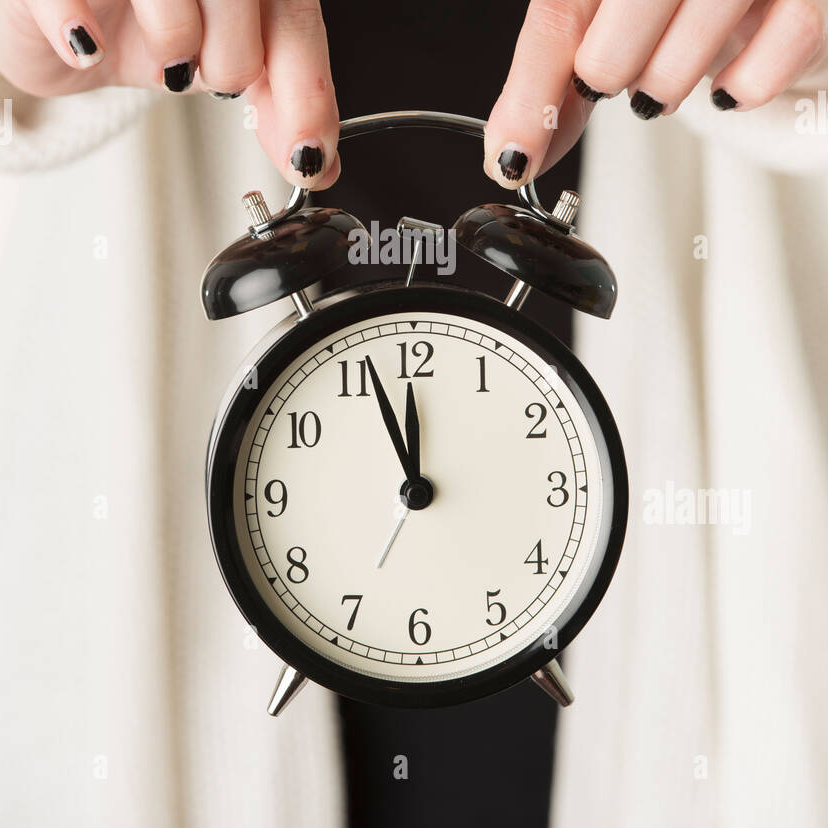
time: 11:56
